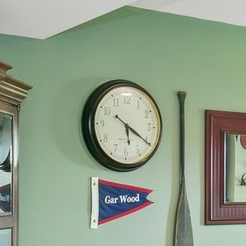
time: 5:20
